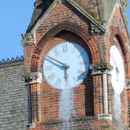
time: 5:49
